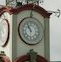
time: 10:55
